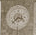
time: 3:37
